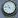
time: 4:46
